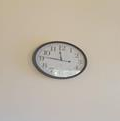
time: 11:46
